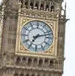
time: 7:12
